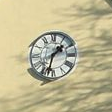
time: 1:32
